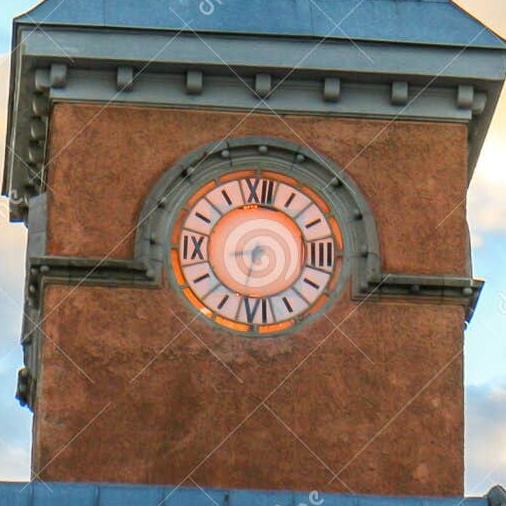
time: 8:32
